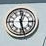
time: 12:27
